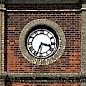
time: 3:33
